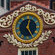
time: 12:24
